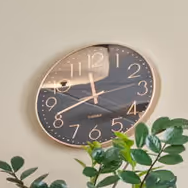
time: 11:41
